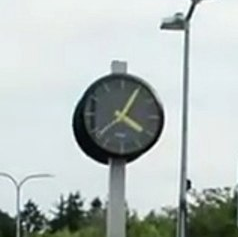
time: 4:04
